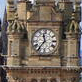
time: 11:36
